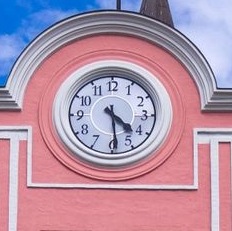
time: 4:29
